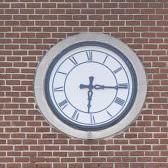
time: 6:15
